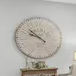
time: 9:51
